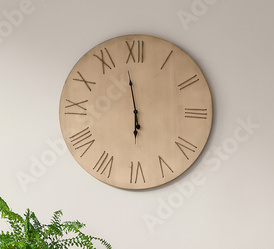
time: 5:58
